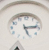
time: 5:13
